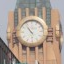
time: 10:53
